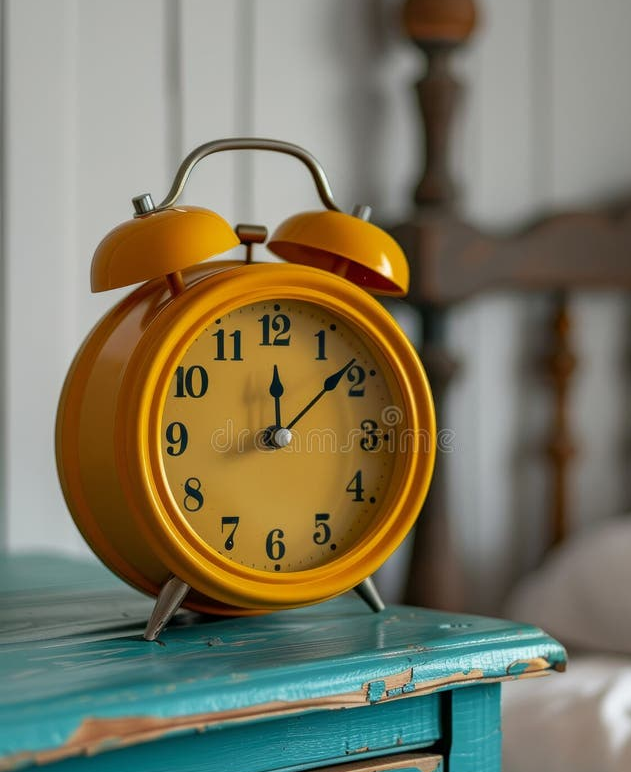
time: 12:08
